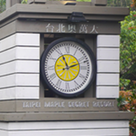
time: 11:11
